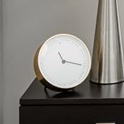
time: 11:17
